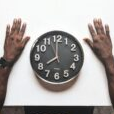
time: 7:59
